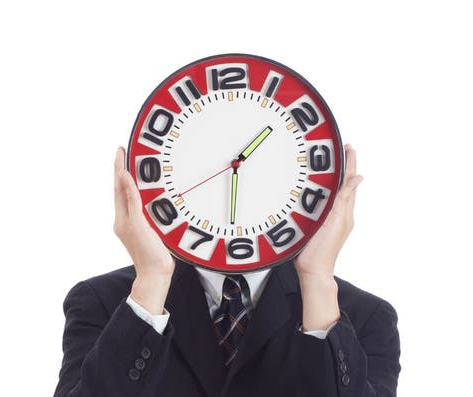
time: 1:31
